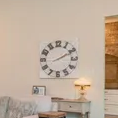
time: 2:10
